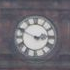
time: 2:48
